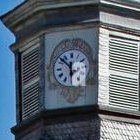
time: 5:51
